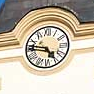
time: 4:46
